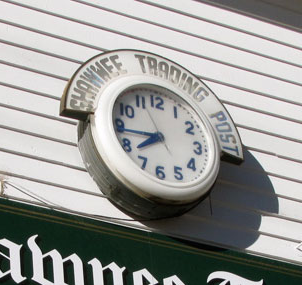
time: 7:43
